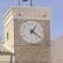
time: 1:21
